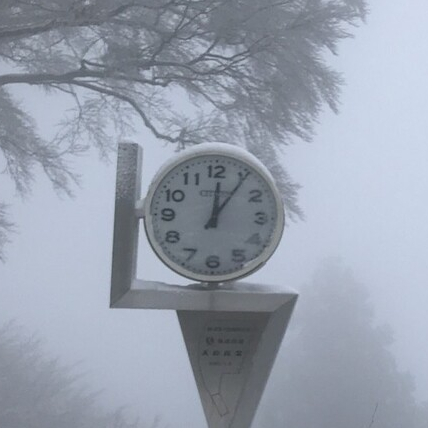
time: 12:05
